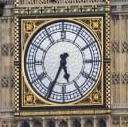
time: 5:34
